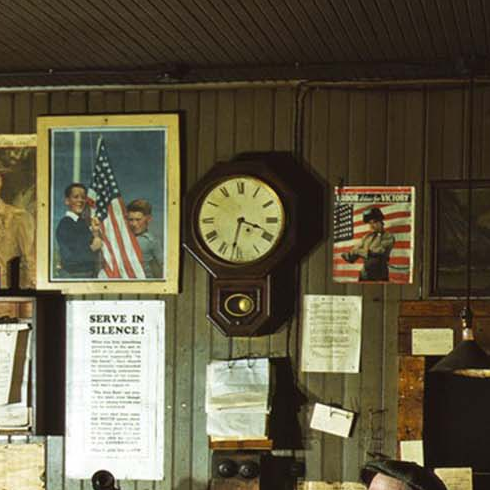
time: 3:32
